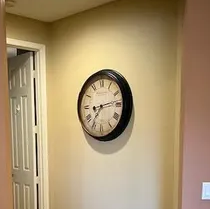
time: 7:13
